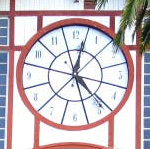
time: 12:23
